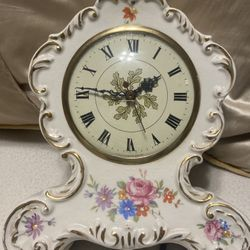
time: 1:46
